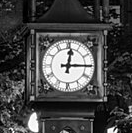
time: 12:14
